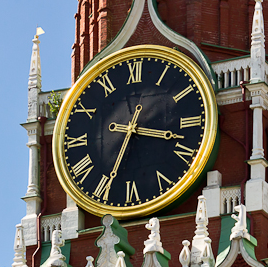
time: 3:34
